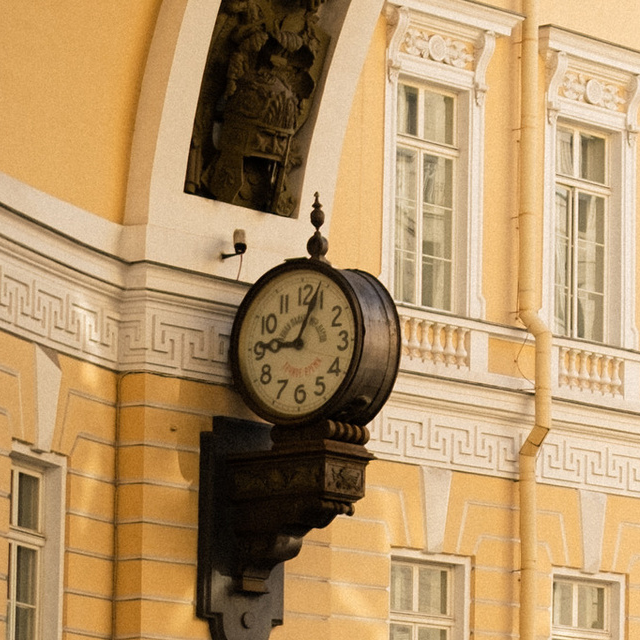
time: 9:03
